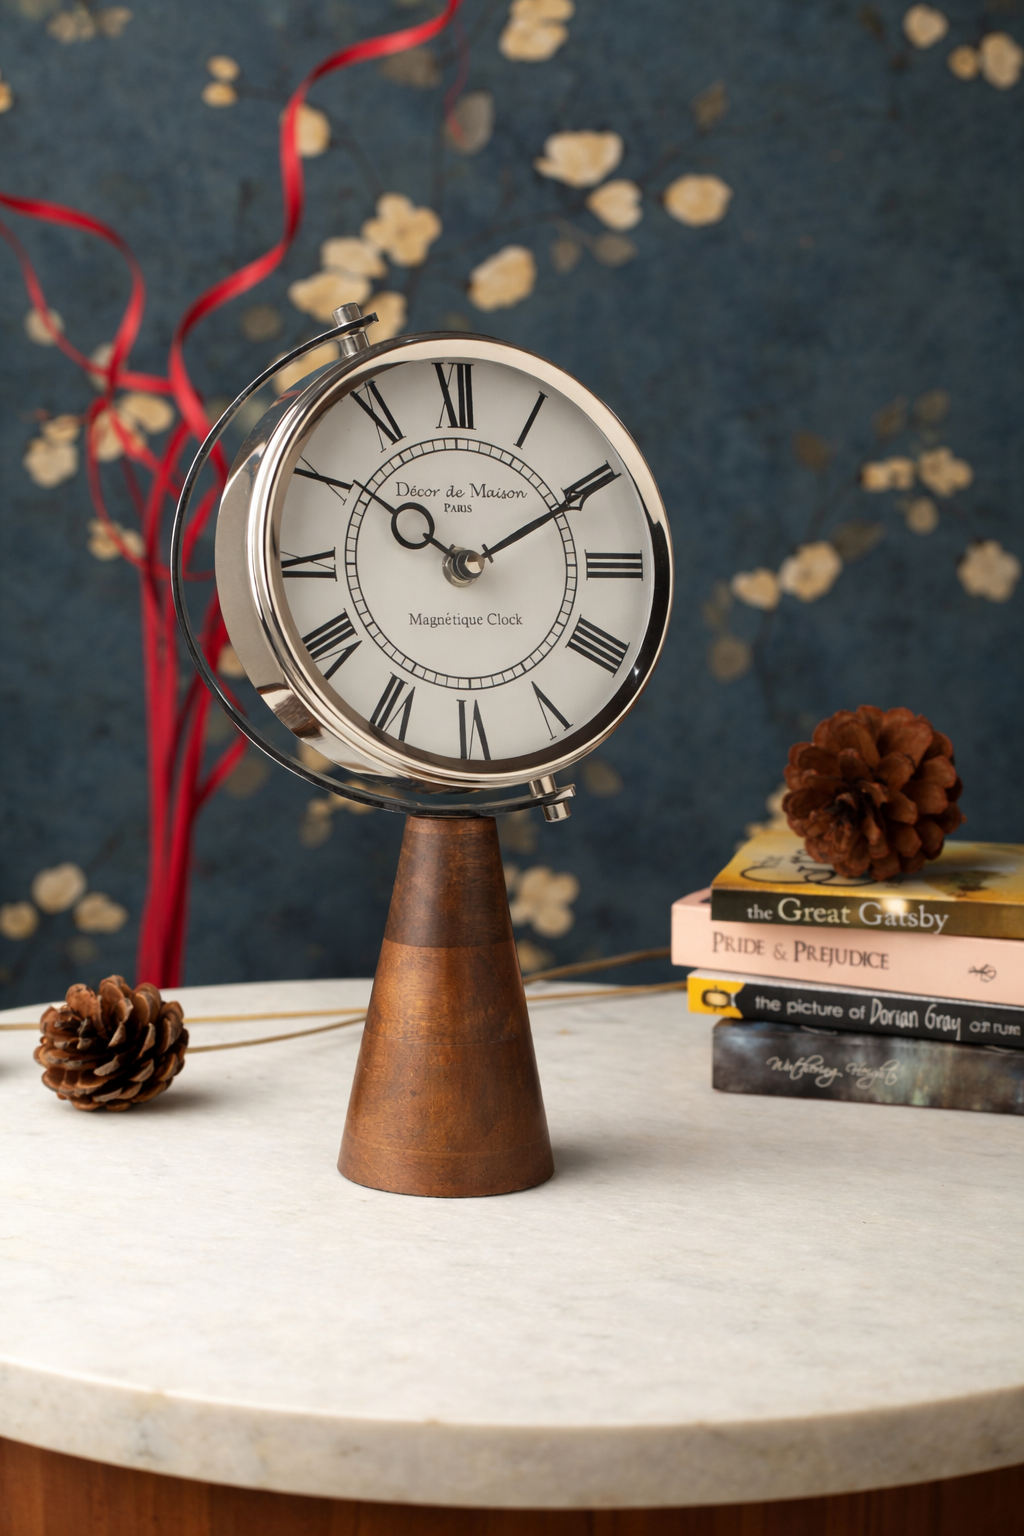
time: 10:10
